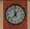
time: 11:37
